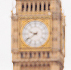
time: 9:39
